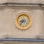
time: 8:35
